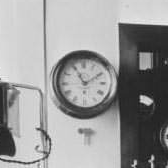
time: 11:09
